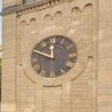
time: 11:48
